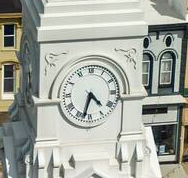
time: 4:32
